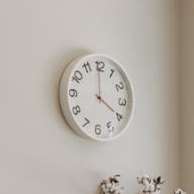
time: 3:59
